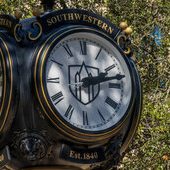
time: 2:12
